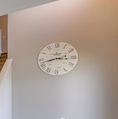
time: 2:42
